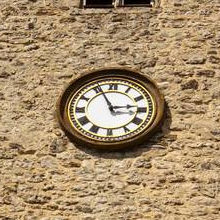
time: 2:56
